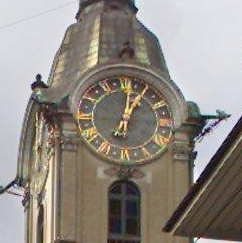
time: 1:01
